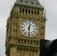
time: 12:28
